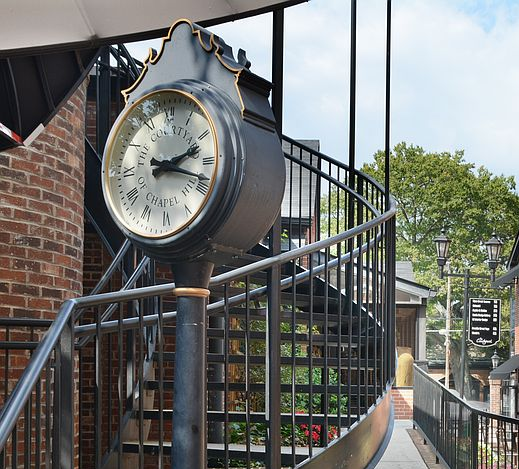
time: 2:18
